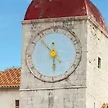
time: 5:53
